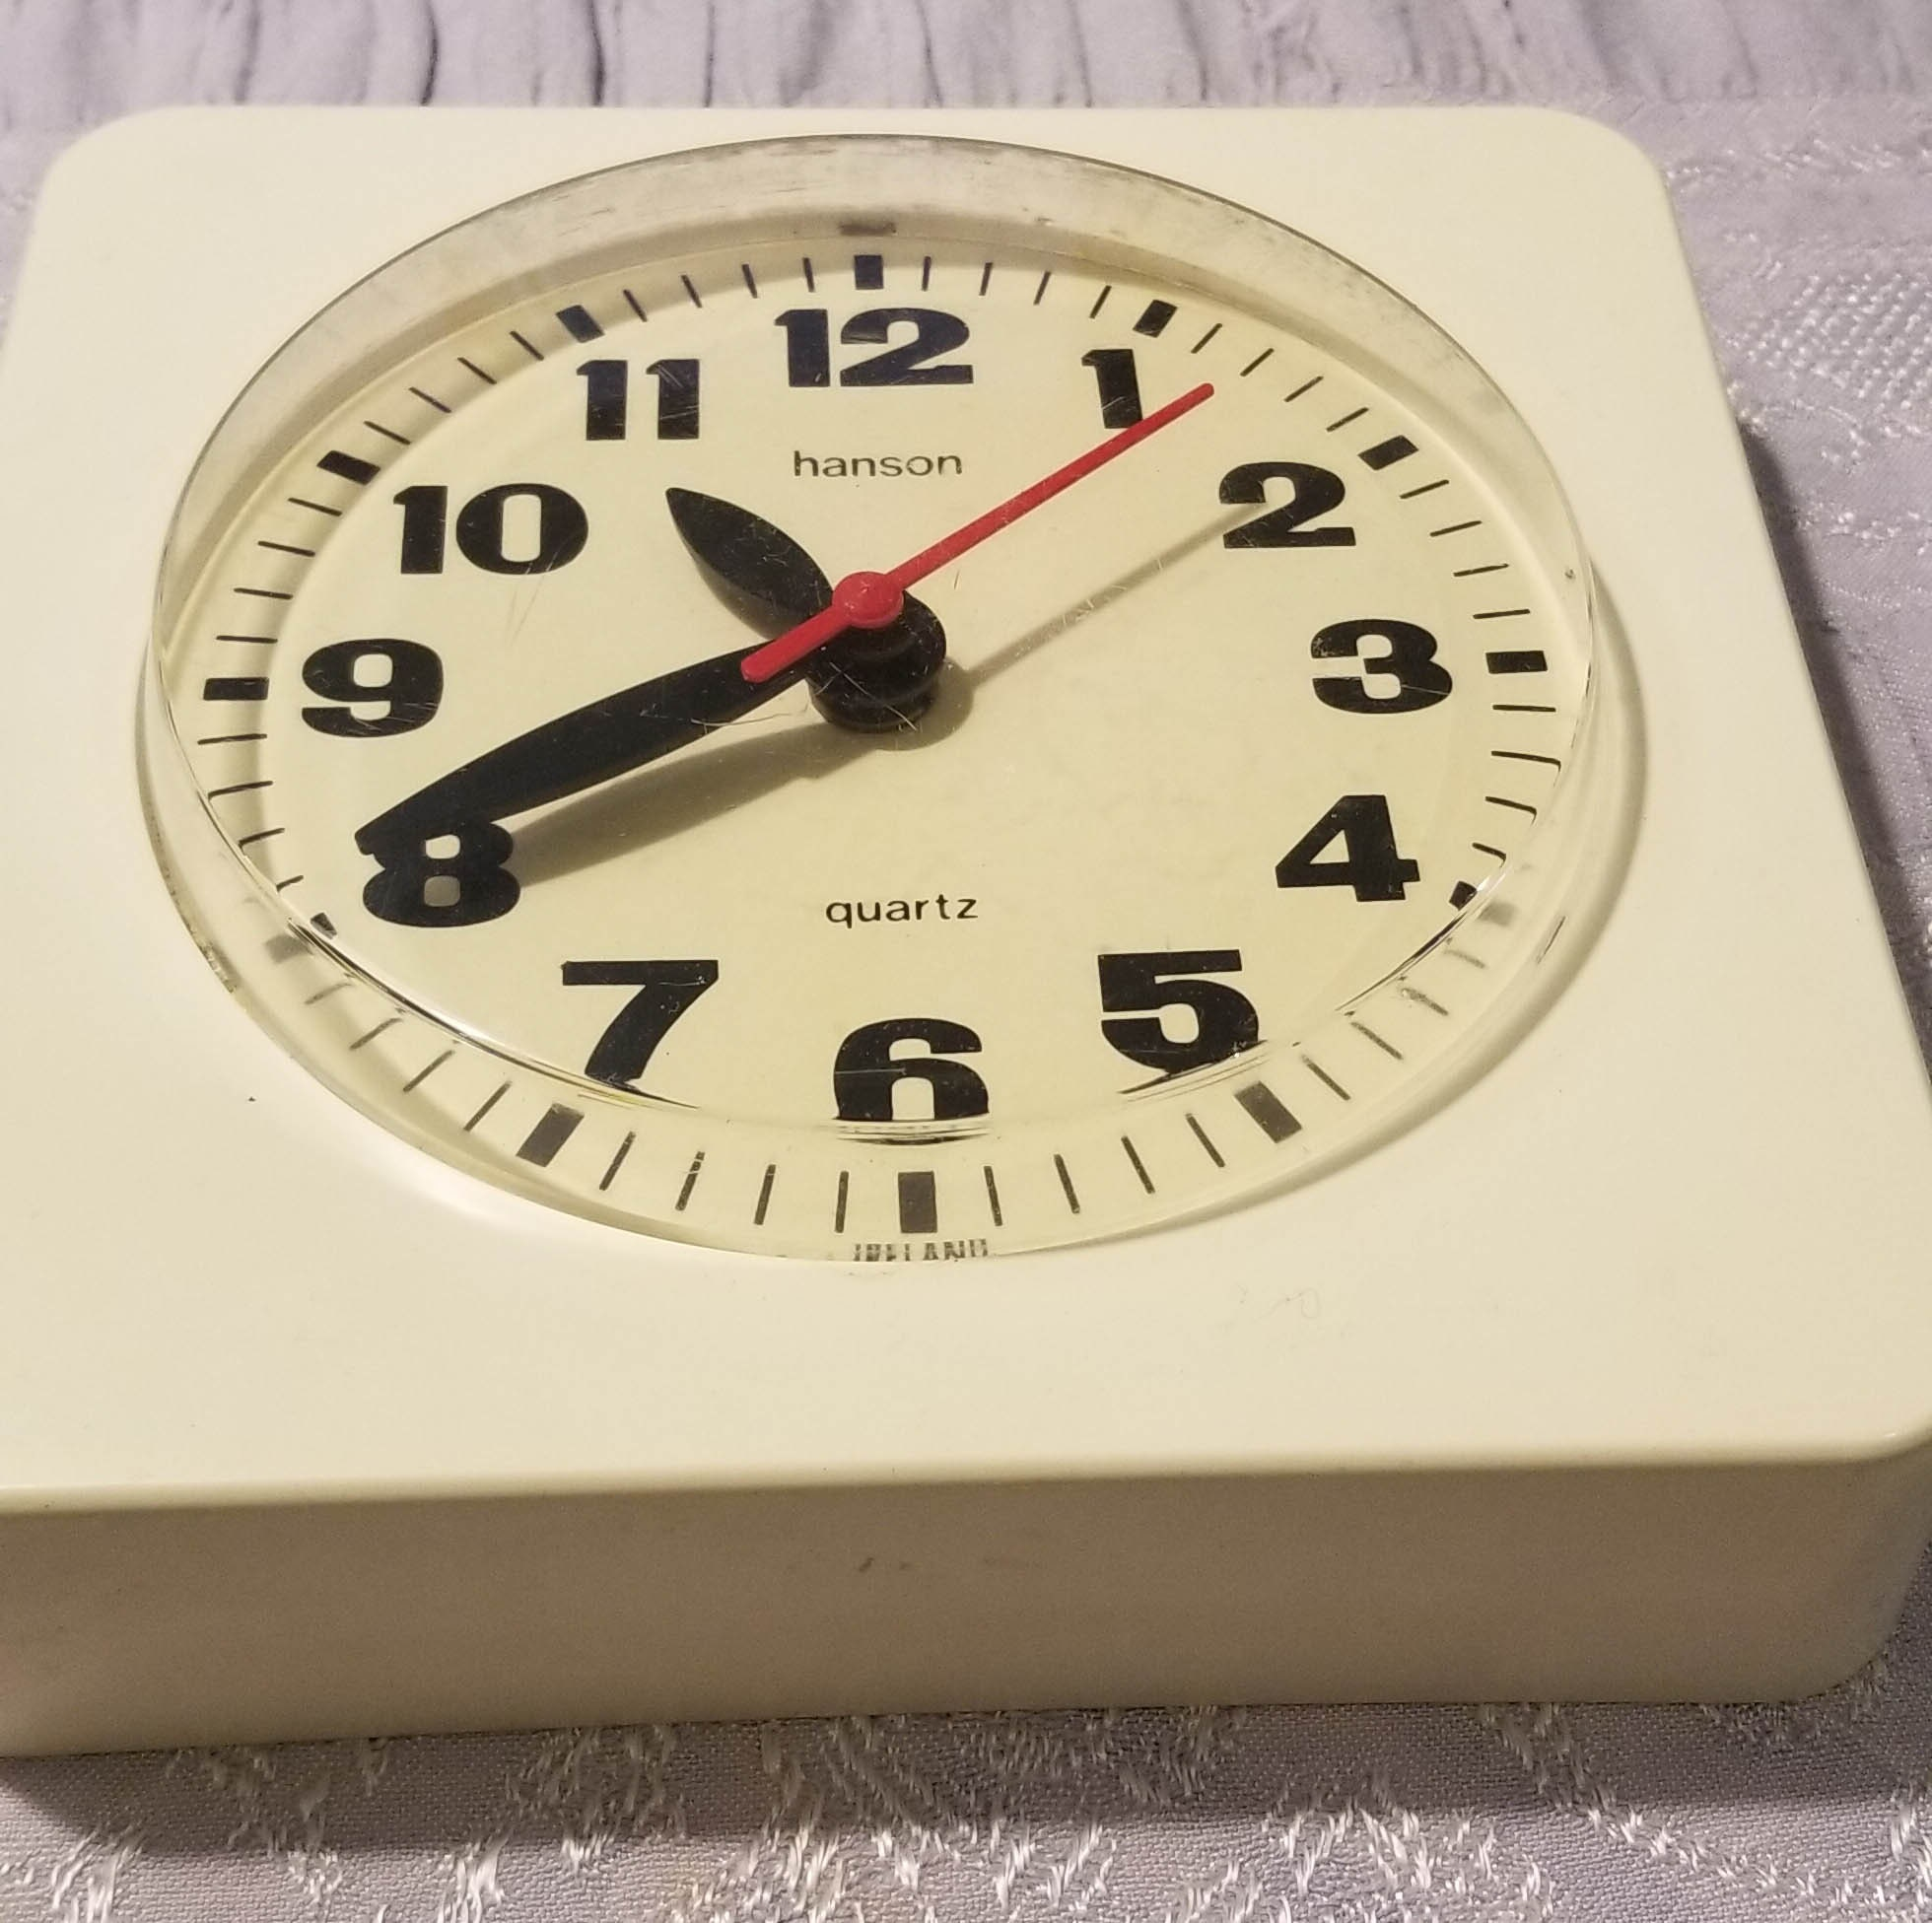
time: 10:40
